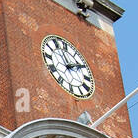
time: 1:56
